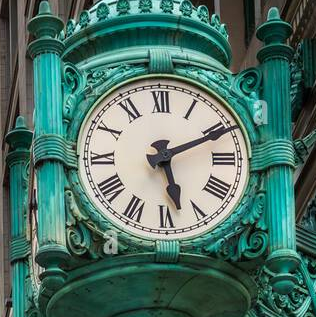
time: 5:11
